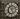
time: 5:12
